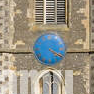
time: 4:20
